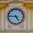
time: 4:45
